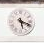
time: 5:18
